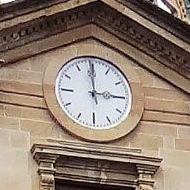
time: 2:59
